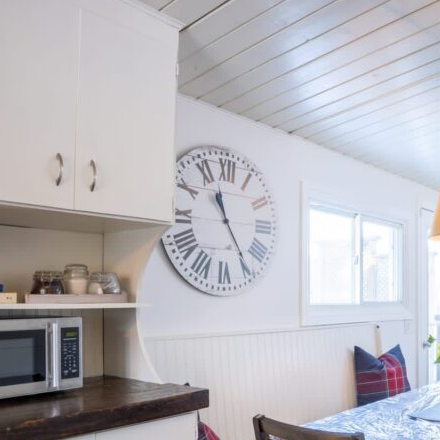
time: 11:24
